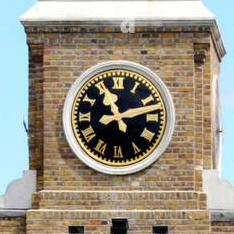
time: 11:12
